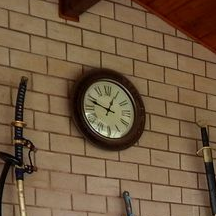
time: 12:47
